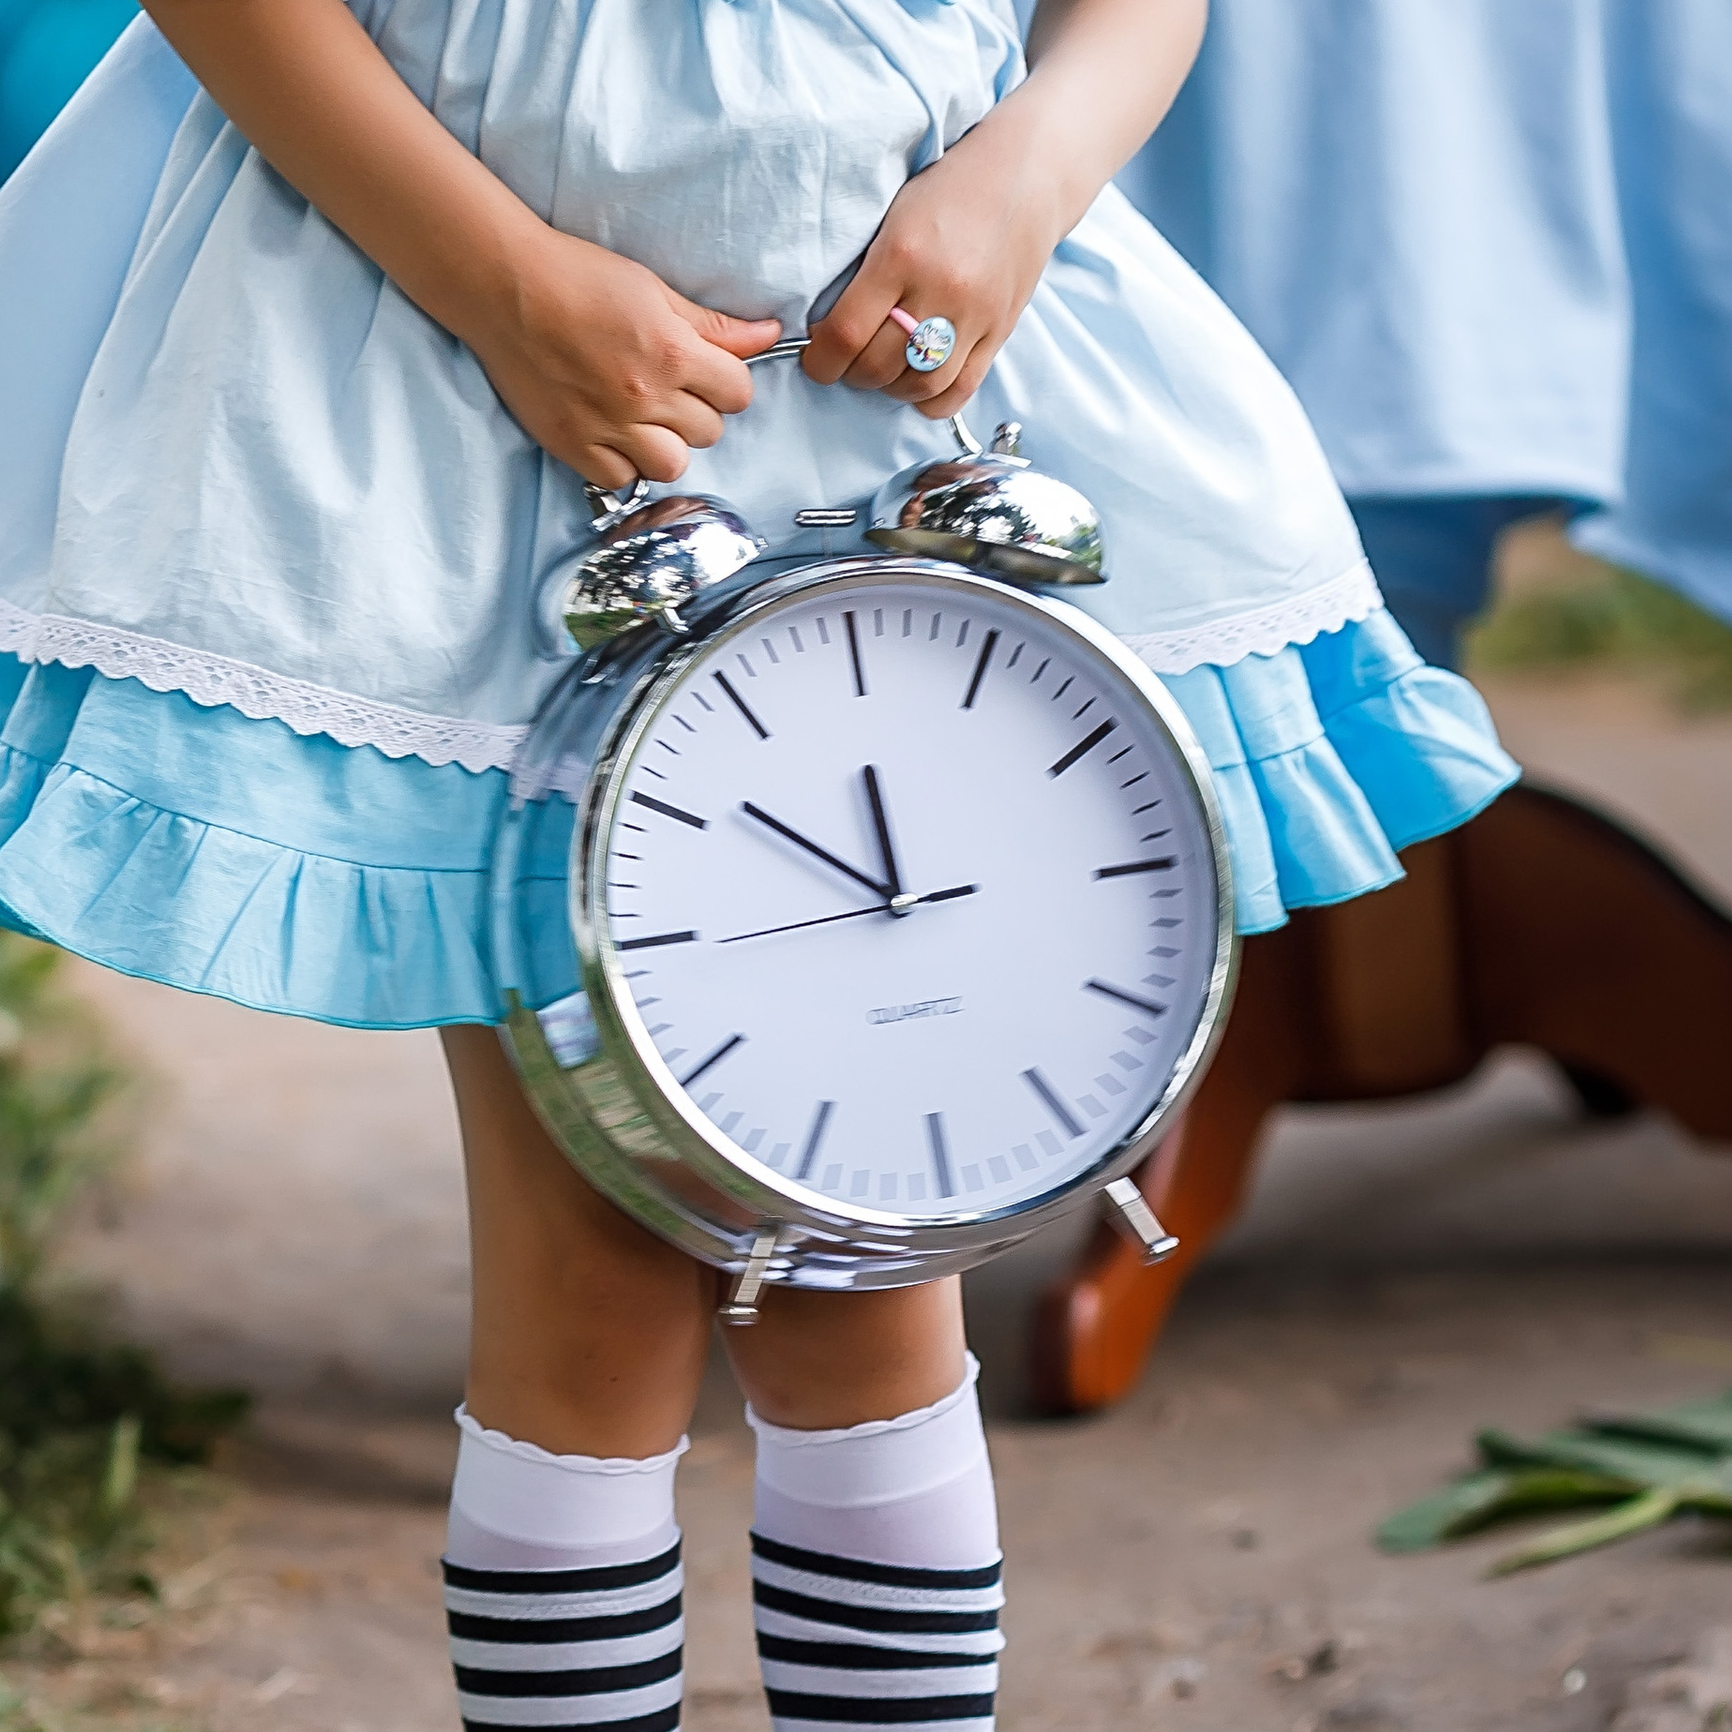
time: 11:51
